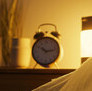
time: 10:13
